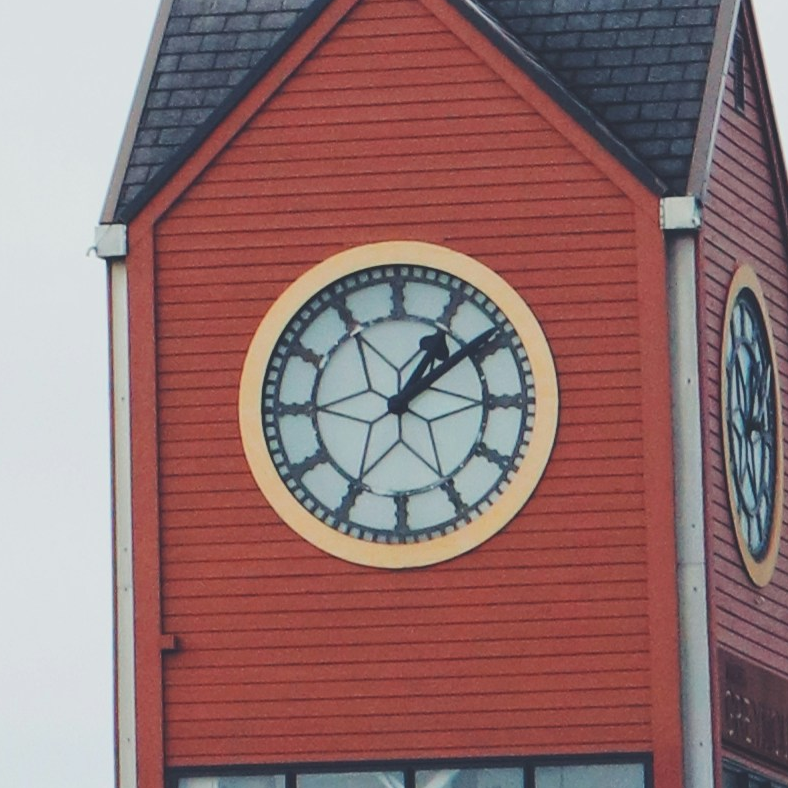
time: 1:09
